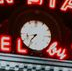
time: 8:36
